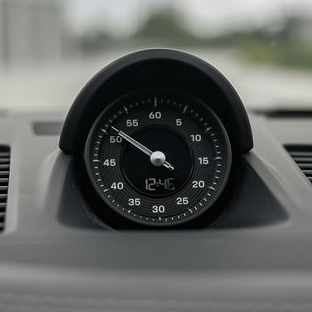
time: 9:51
